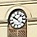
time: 10:07
